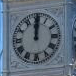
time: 12:00
